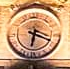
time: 6:18
